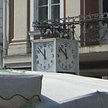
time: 11:52
